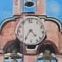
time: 4:35
